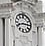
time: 8:14
